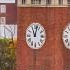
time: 11:02
